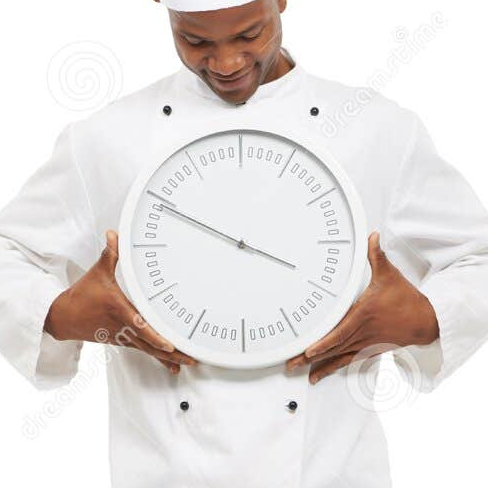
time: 3:49
